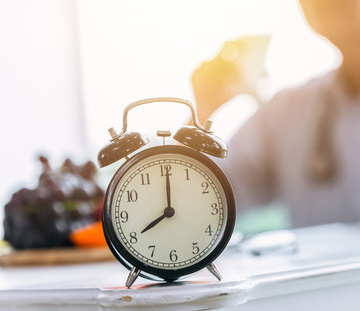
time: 8:00
